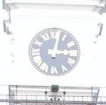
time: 3:02
